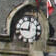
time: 9:01
